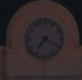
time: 7:19
